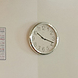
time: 10:17
